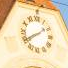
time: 1:40
